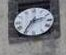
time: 2:35
